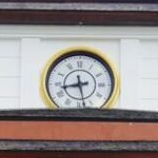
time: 8:28
